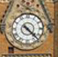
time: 10:22
